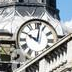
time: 10:01
